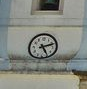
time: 2:24
